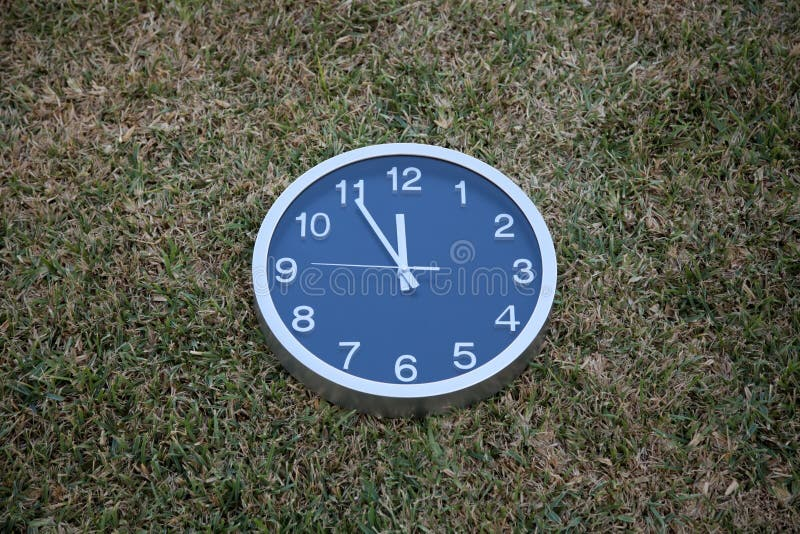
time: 11:54
